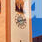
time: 8:12
